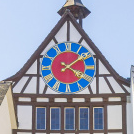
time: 4:09
